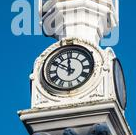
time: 11:50
